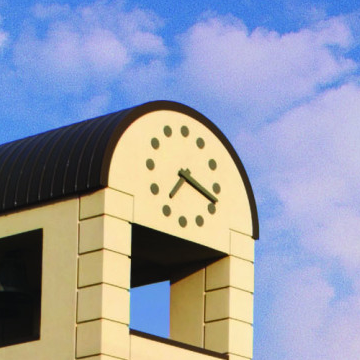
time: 7:18
